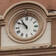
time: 10:51
